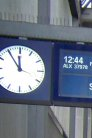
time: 11:54
